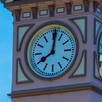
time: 8:01
